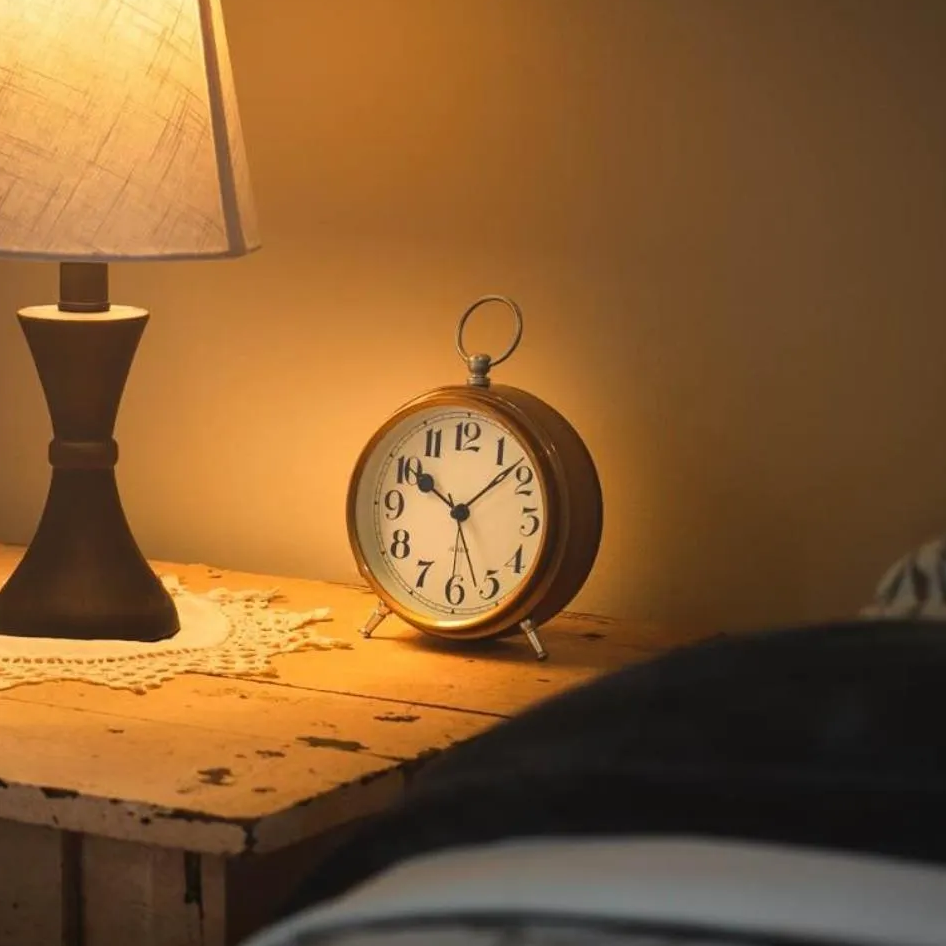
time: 10:08
